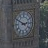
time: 2:50
